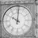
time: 10:00
